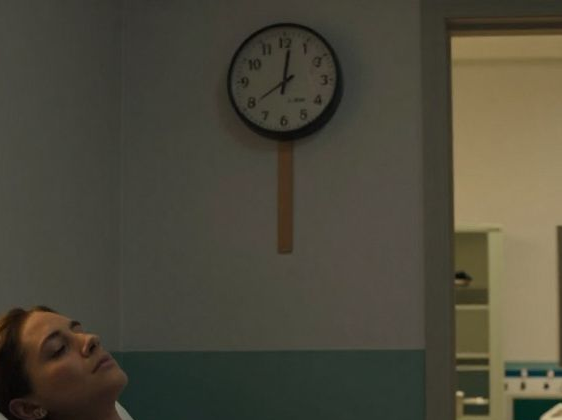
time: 8:01
